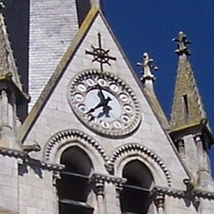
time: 11:37
